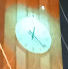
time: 6:21
